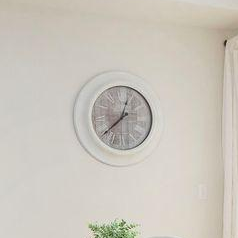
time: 12:38
